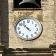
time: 10:52
